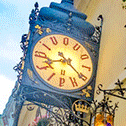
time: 8:21
